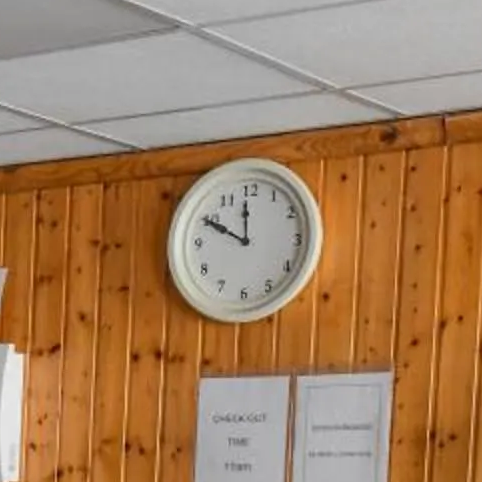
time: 11:49
